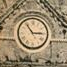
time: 2:54
